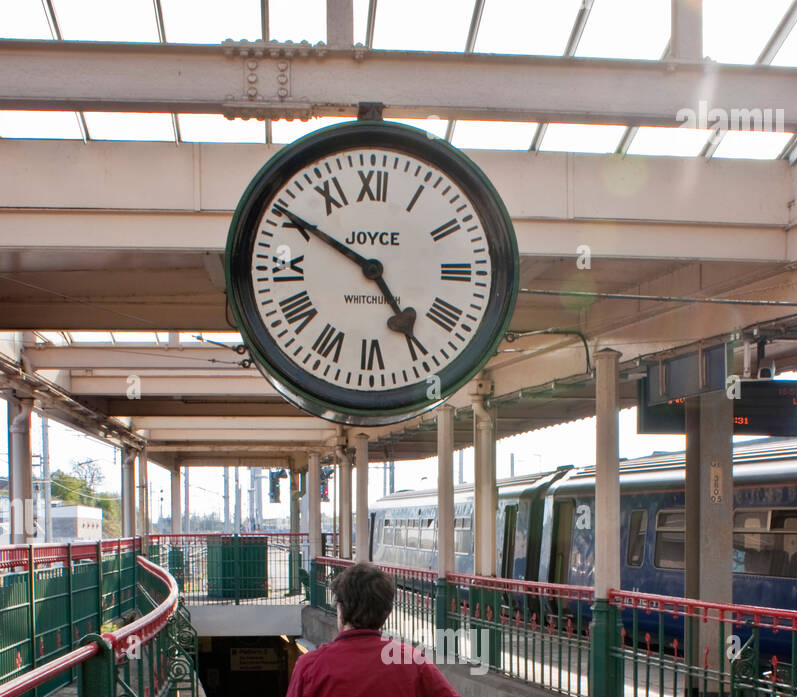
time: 4:50
